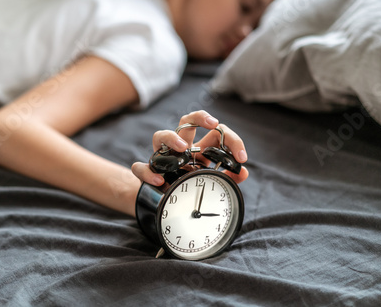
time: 3:01
